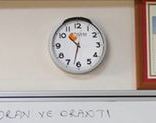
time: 10:32
